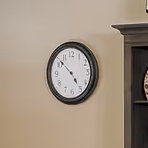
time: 4:52
